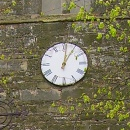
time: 1:01
